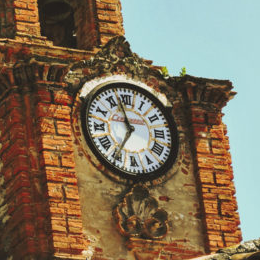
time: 11:35
